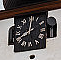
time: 8:01
